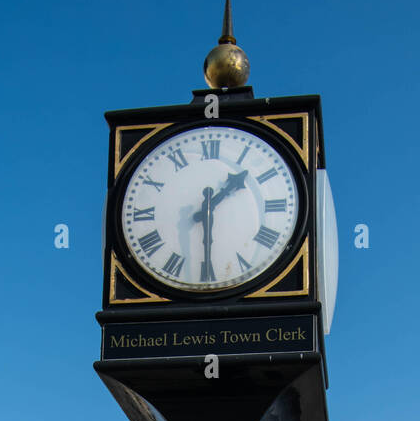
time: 1:29
